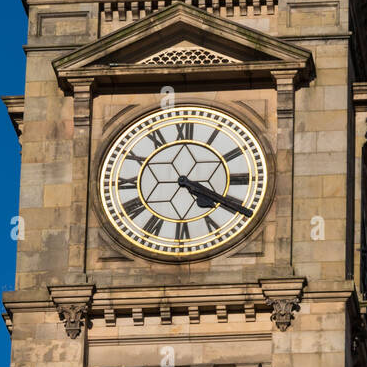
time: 4:19
